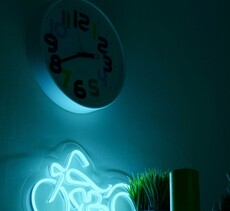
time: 2:40
